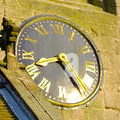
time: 8:24
